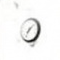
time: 7:07
